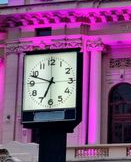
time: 6:48
